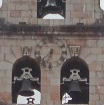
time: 7:32
